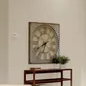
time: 6:40
